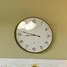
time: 8:47
